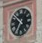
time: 10:34
